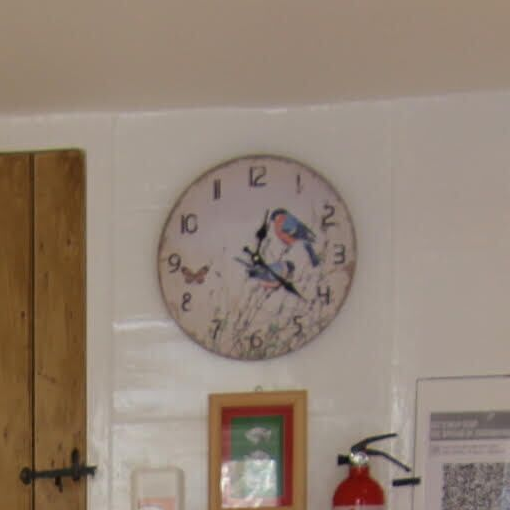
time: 12:21
